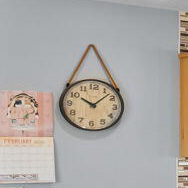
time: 10:07
